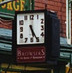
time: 5:24
